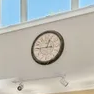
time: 12:45
